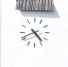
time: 4:41
